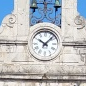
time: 10:07
